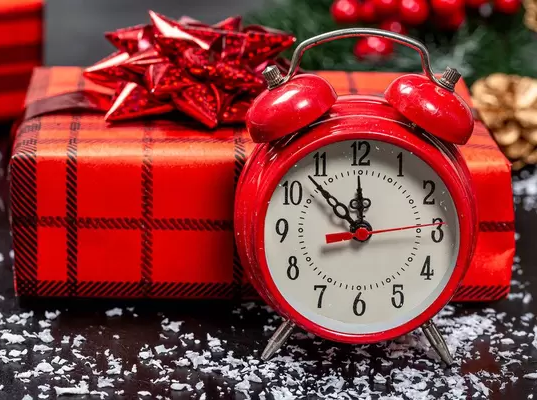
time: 11:52
